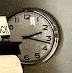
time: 2:17
